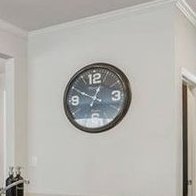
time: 12:49
